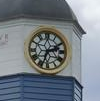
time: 2:33
